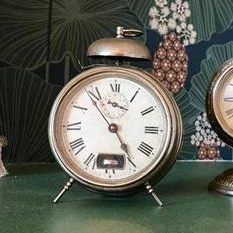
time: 4:53
